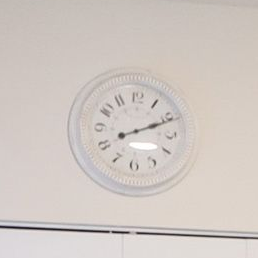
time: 2:11
